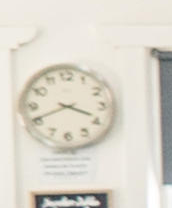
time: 3:41
